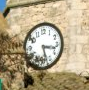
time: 3:27
